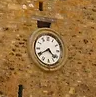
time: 4:40
